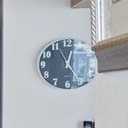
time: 12:55
